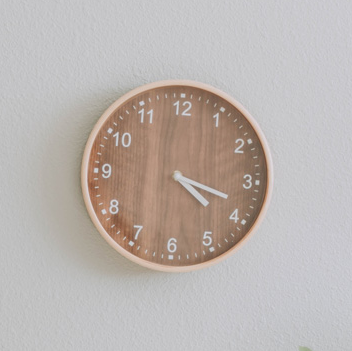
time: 4:18
